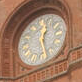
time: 12:27
